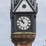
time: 10:50
